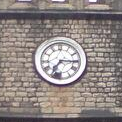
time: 7:15
